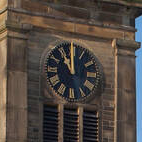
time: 10:59
